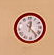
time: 12:23
